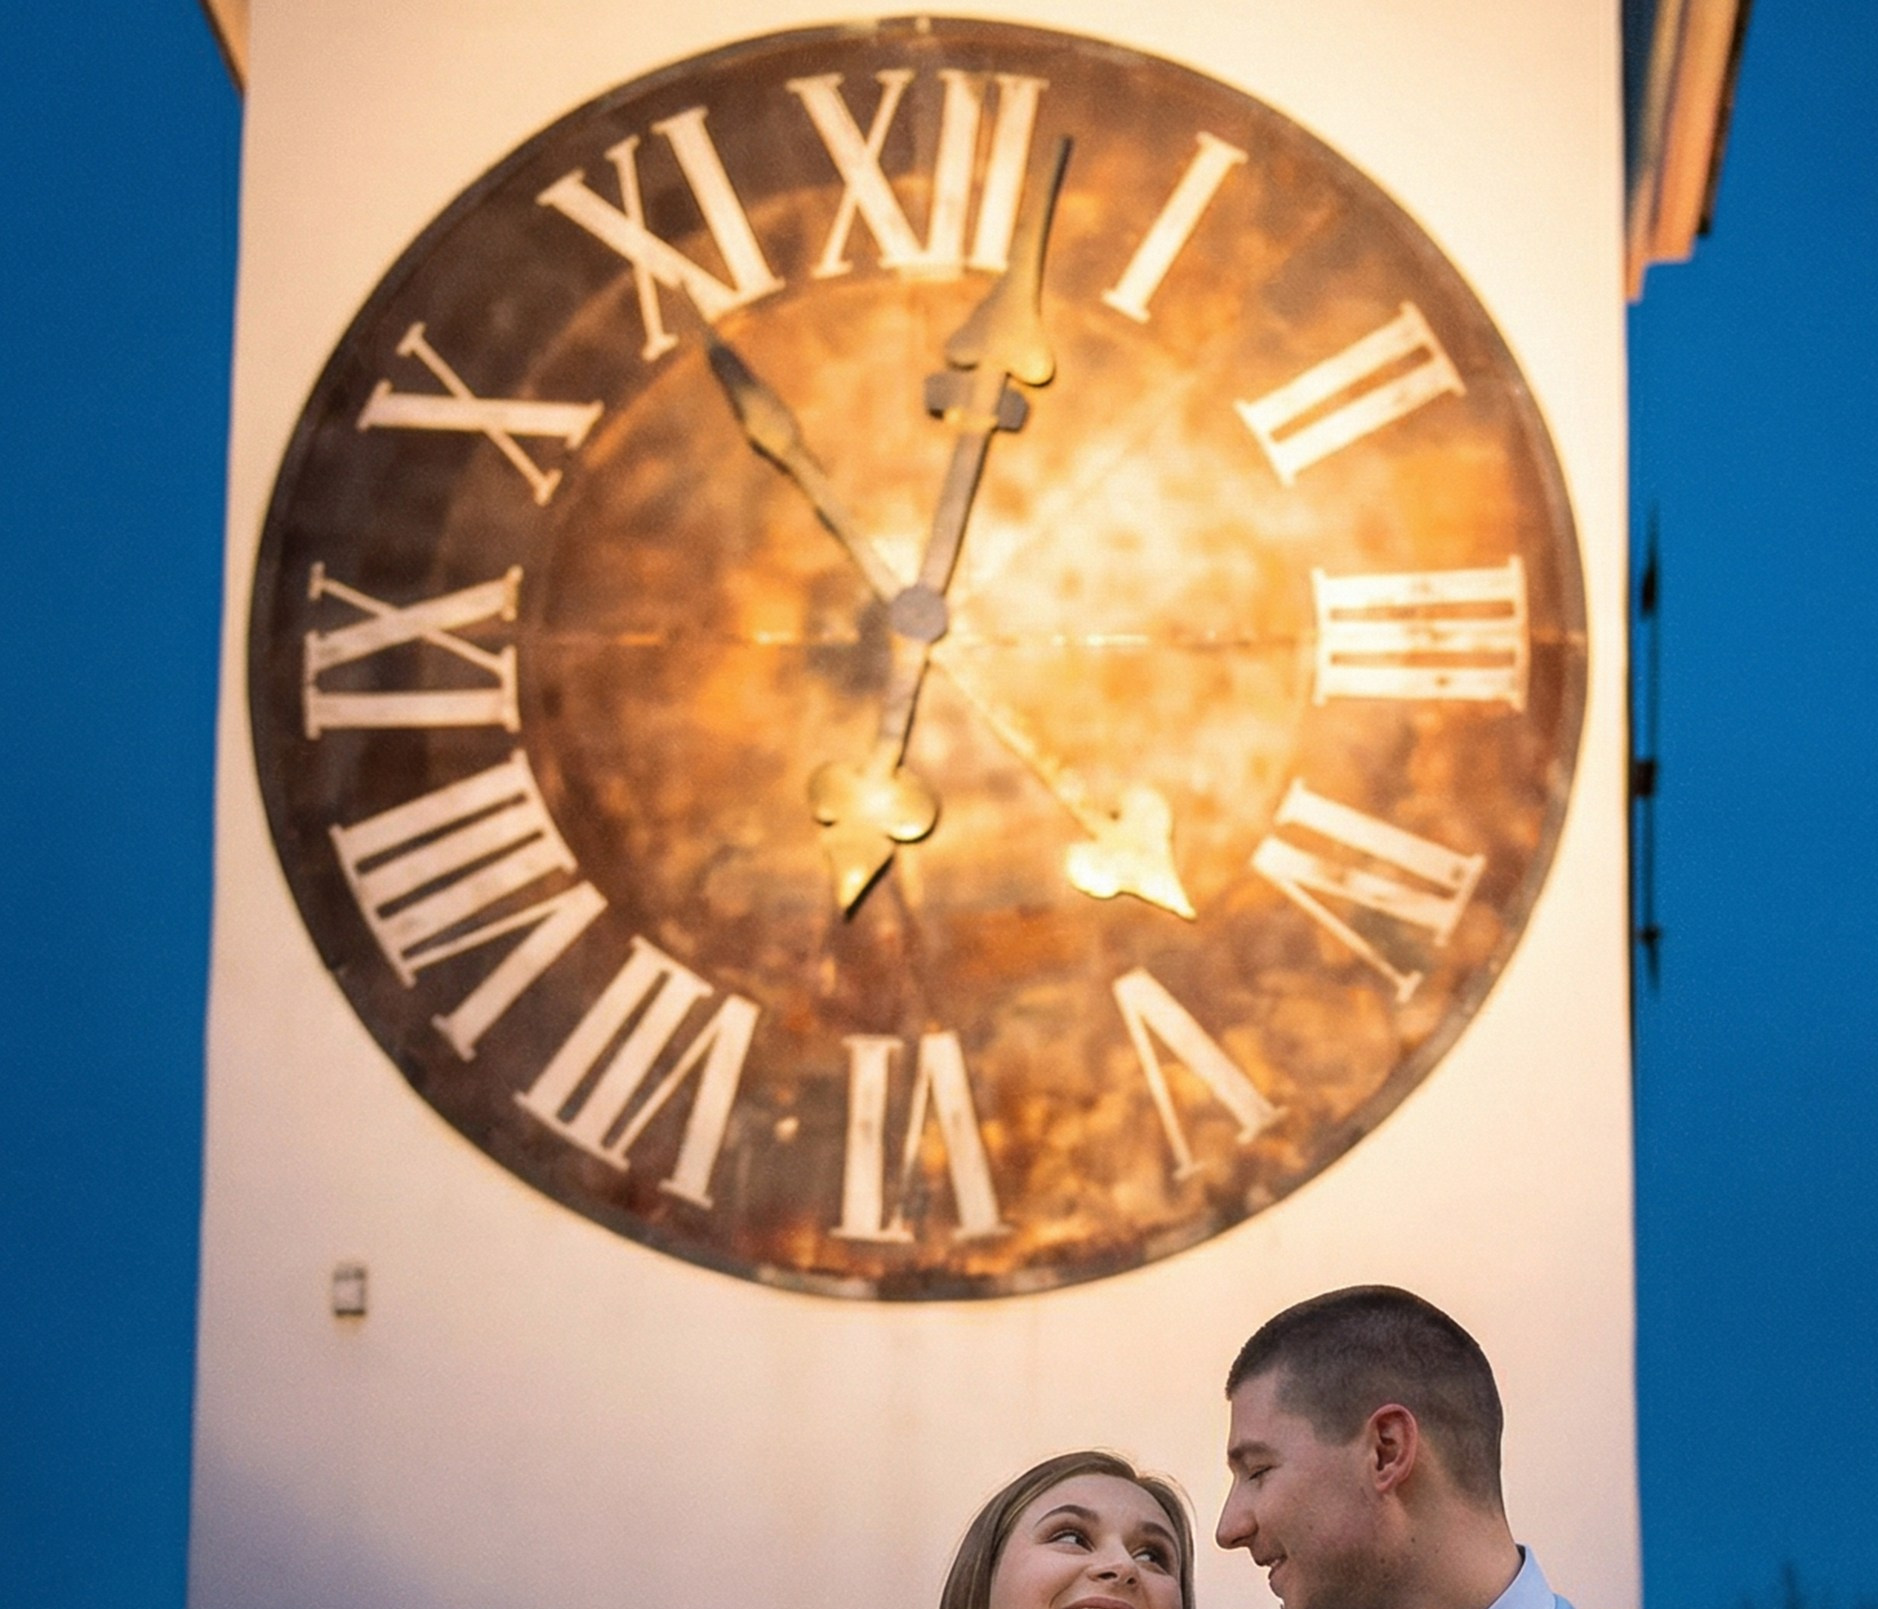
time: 12:32
